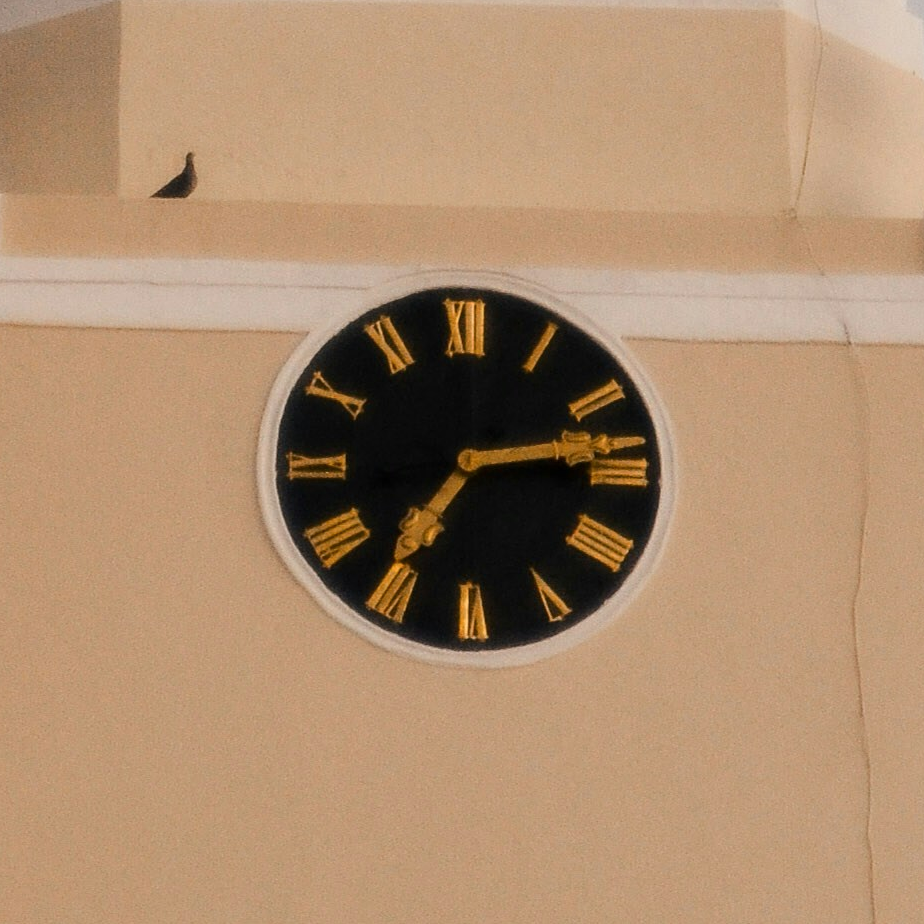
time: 7:13
